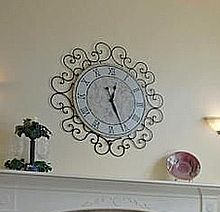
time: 12:26
